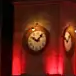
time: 10:07
